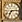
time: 7:13
